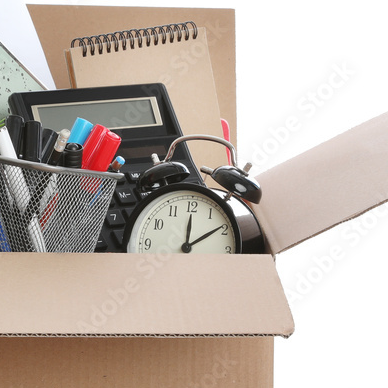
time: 12:09
